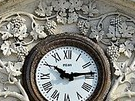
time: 10:13
